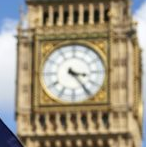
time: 3:23
